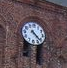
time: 4:22
